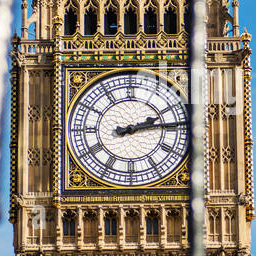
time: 2:13
